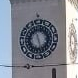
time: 5:26
